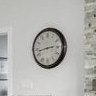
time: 2:42
